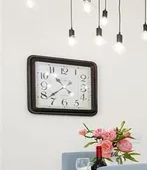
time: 10:38
